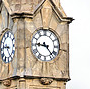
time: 9:23
